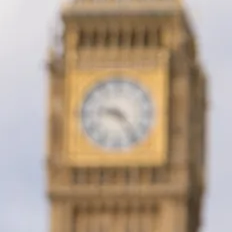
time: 9:23
